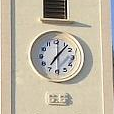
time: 7:06
